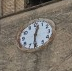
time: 12:30
